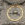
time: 3:43
